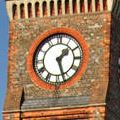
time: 1:26
